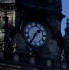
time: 1:35
